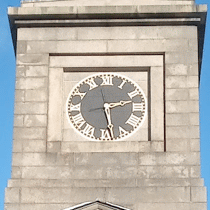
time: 2:28
